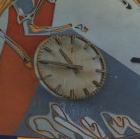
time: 10:45
